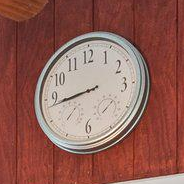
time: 8:43
